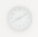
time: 8:09
